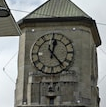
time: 12:23
